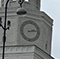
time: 2:13
